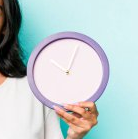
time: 10:03
